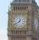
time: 12:38
